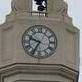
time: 9:34
